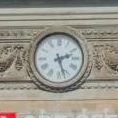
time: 2:27
